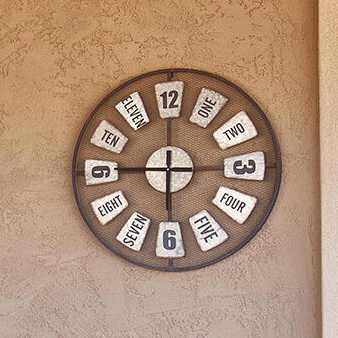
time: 5:45
